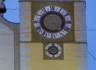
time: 4:23
